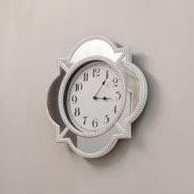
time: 3:05
